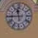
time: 11:44
